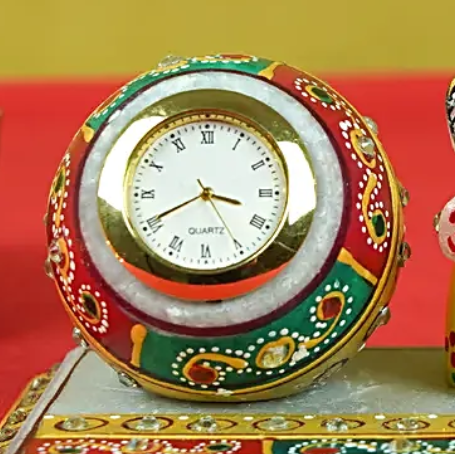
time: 3:40
